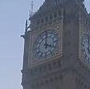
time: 4:00
